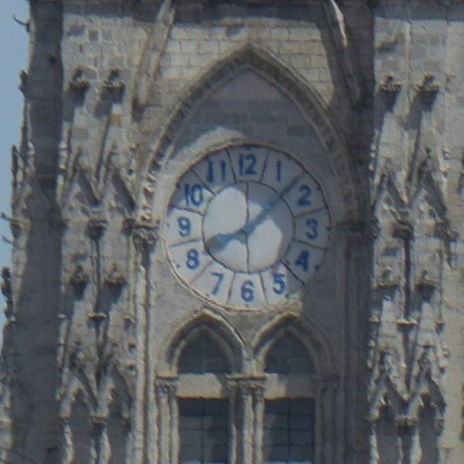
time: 8:07
